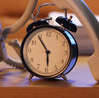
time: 5:54
